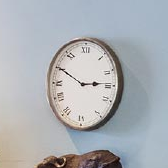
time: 2:50
